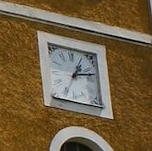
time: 1:12
